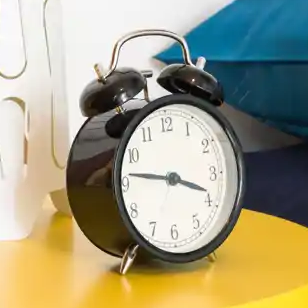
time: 3:46
